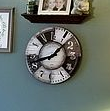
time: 1:42
